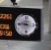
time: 9:01
